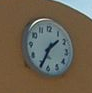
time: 1:34
